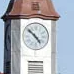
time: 4:52
